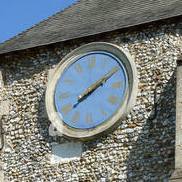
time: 2:09
